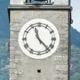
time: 11:23
